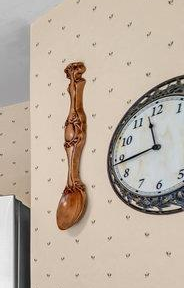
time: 11:43
